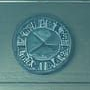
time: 7:52
